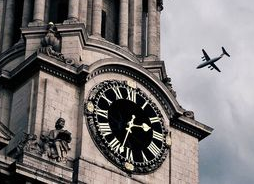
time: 2:32
